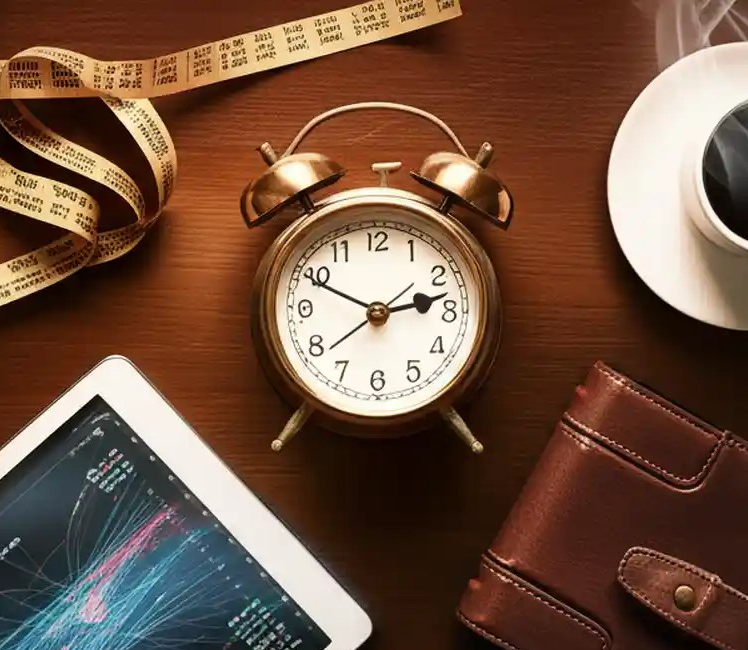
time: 2:49
